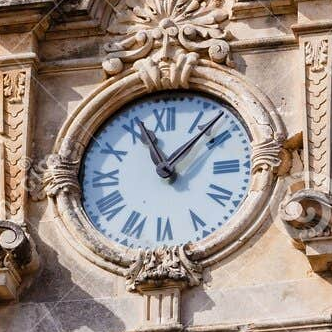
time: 11:07
